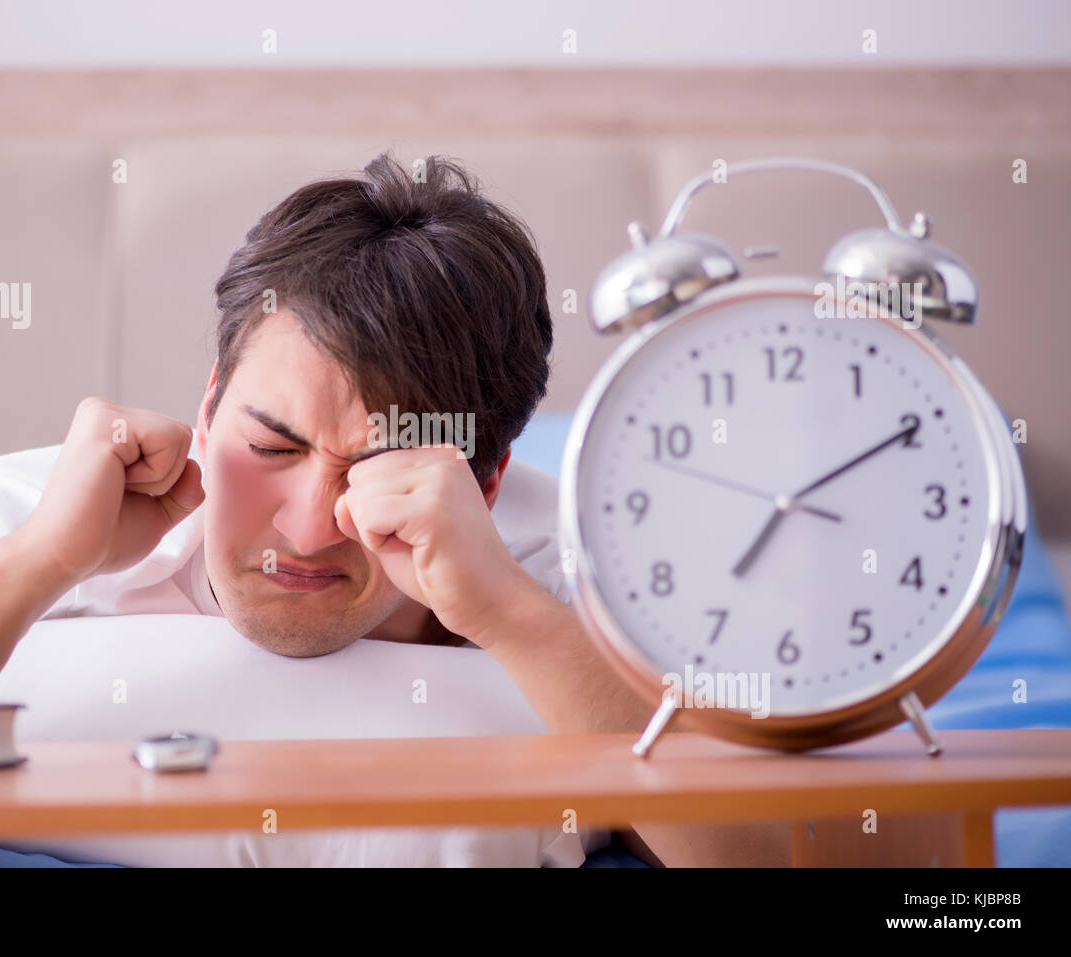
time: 7:10
